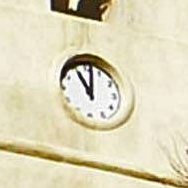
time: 11:01
